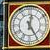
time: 12:24
